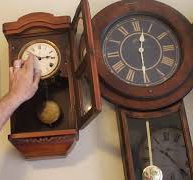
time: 12:30
